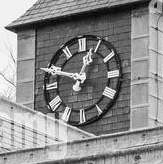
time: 12:48
